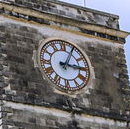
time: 3:04
